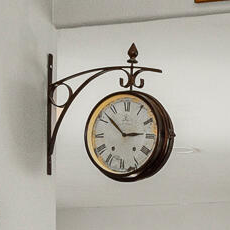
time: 2:52
